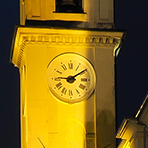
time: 9:09
